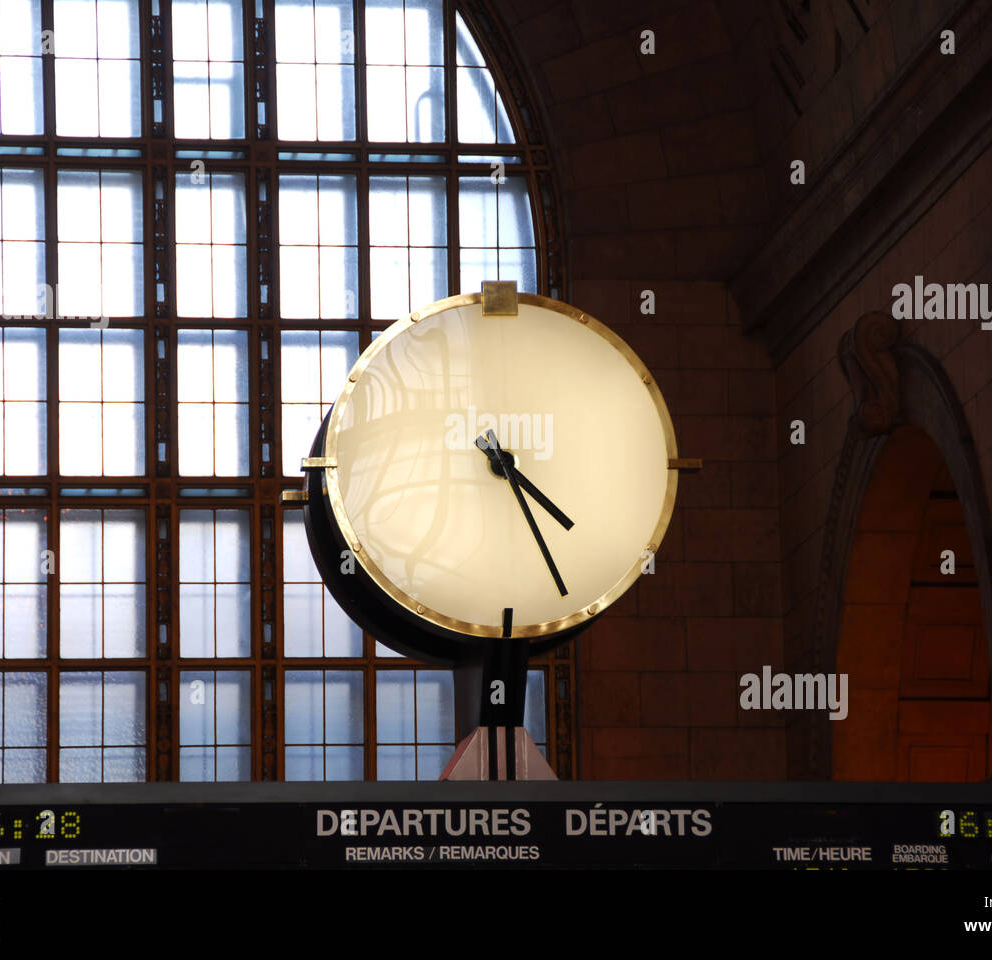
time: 4:26
